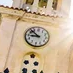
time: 8:52
